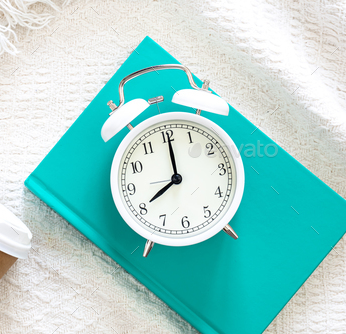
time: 8:00
